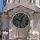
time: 12:49
